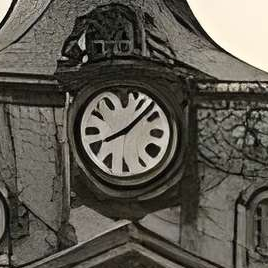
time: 8:07
